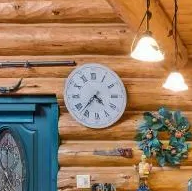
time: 4:37
